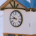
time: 9:45
